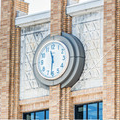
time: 11:31
